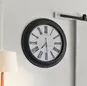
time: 7:29
